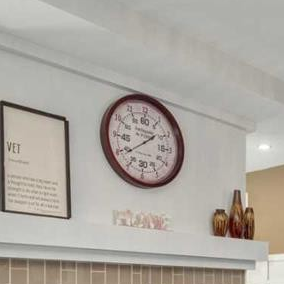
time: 1:38
